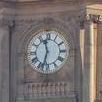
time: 11:32
